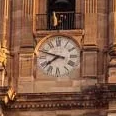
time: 7:47
